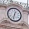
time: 12:32
